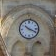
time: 10:19
